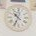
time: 10:34
